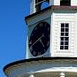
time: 4:40
